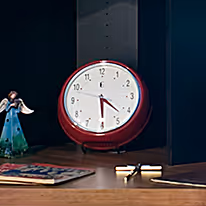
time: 4:29
